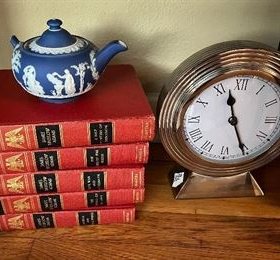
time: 11:25
